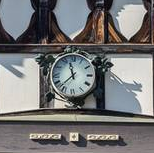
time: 11:37
